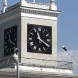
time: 11:20
